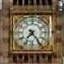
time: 7:24
